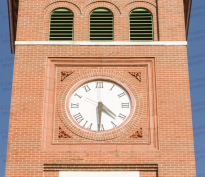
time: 4:30
